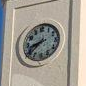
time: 8:38
